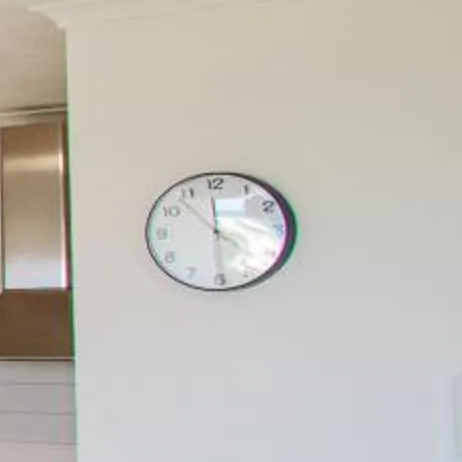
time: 4:29
